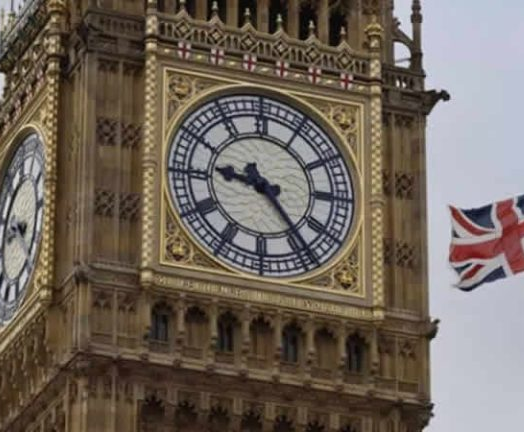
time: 9:23
